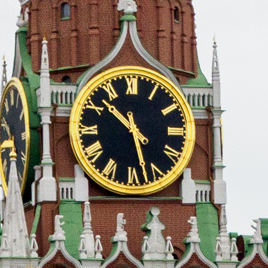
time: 10:27
